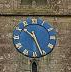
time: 10:26
